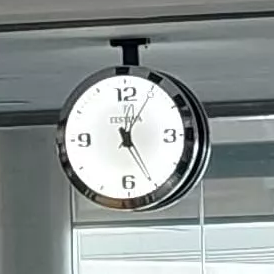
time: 5:05
